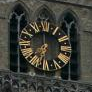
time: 6:59
